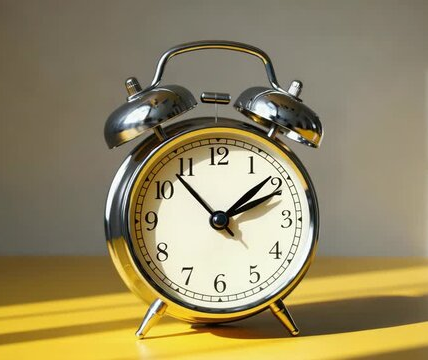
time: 1:53
